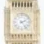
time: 2:23
